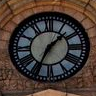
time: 1:34
